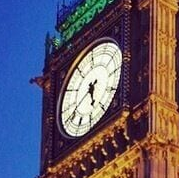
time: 5:40
